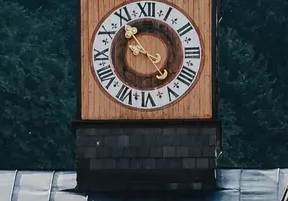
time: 9:53
